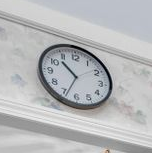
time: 10:34
